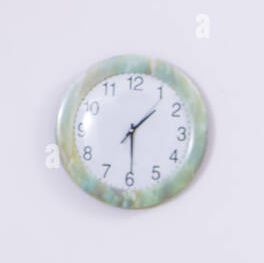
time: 1:29
